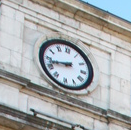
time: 8:42
